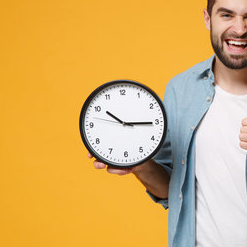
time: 10:15
